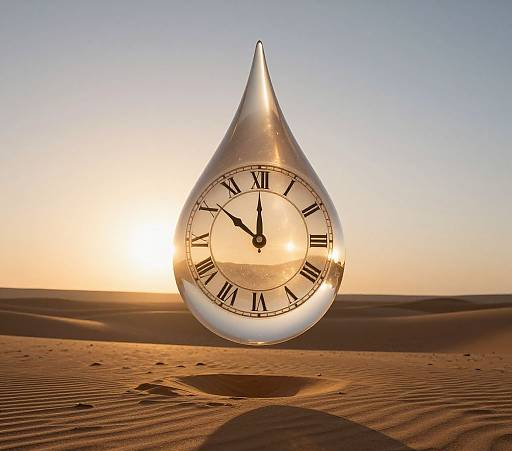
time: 11:51
